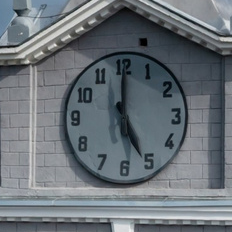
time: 5:00
